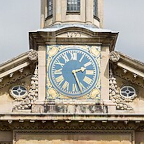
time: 2:26
